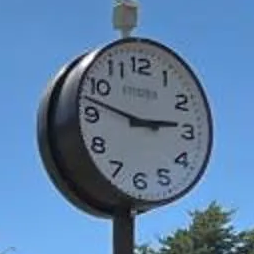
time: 2:47
